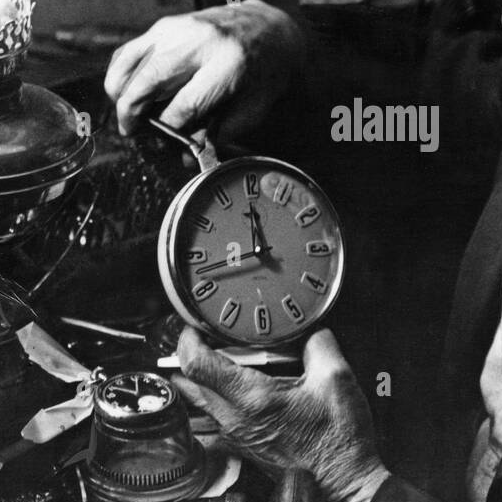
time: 11:42
